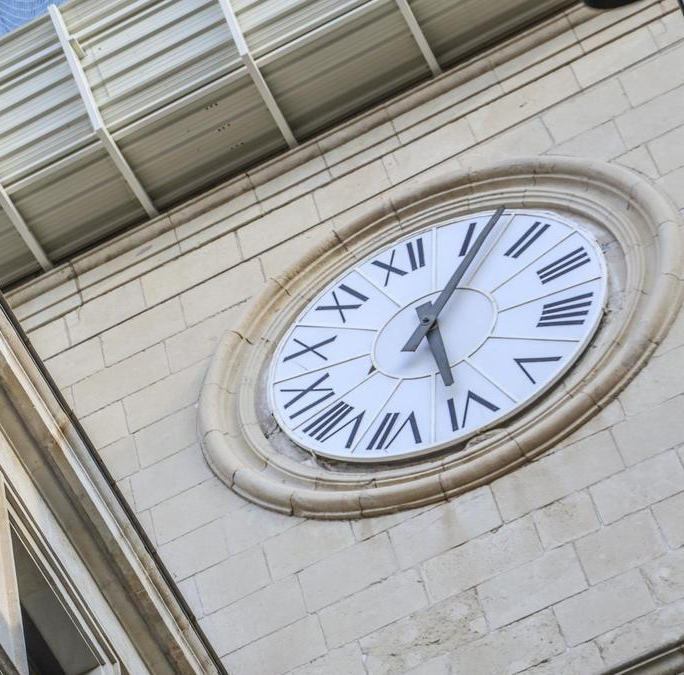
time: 5:01
